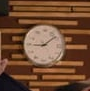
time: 9:08
